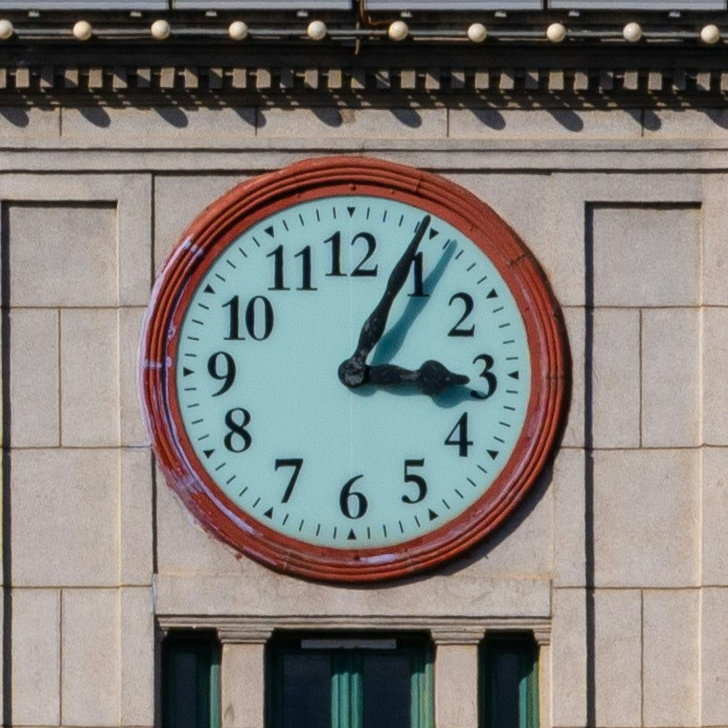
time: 3:04
